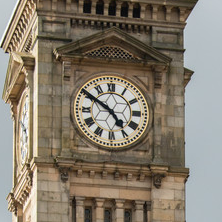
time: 4:50
